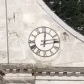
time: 12:13
